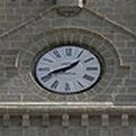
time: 1:41
